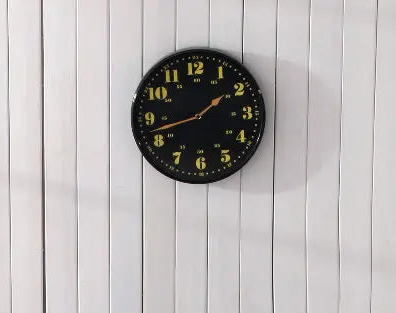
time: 1:42
